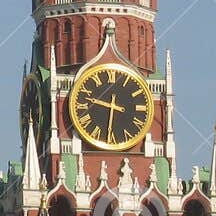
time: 9:31
